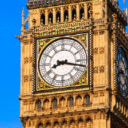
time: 8:17
